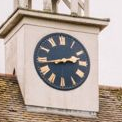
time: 2:43
